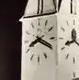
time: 8:19
